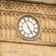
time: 4:55
